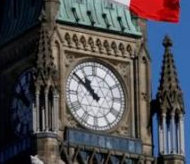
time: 10:51
